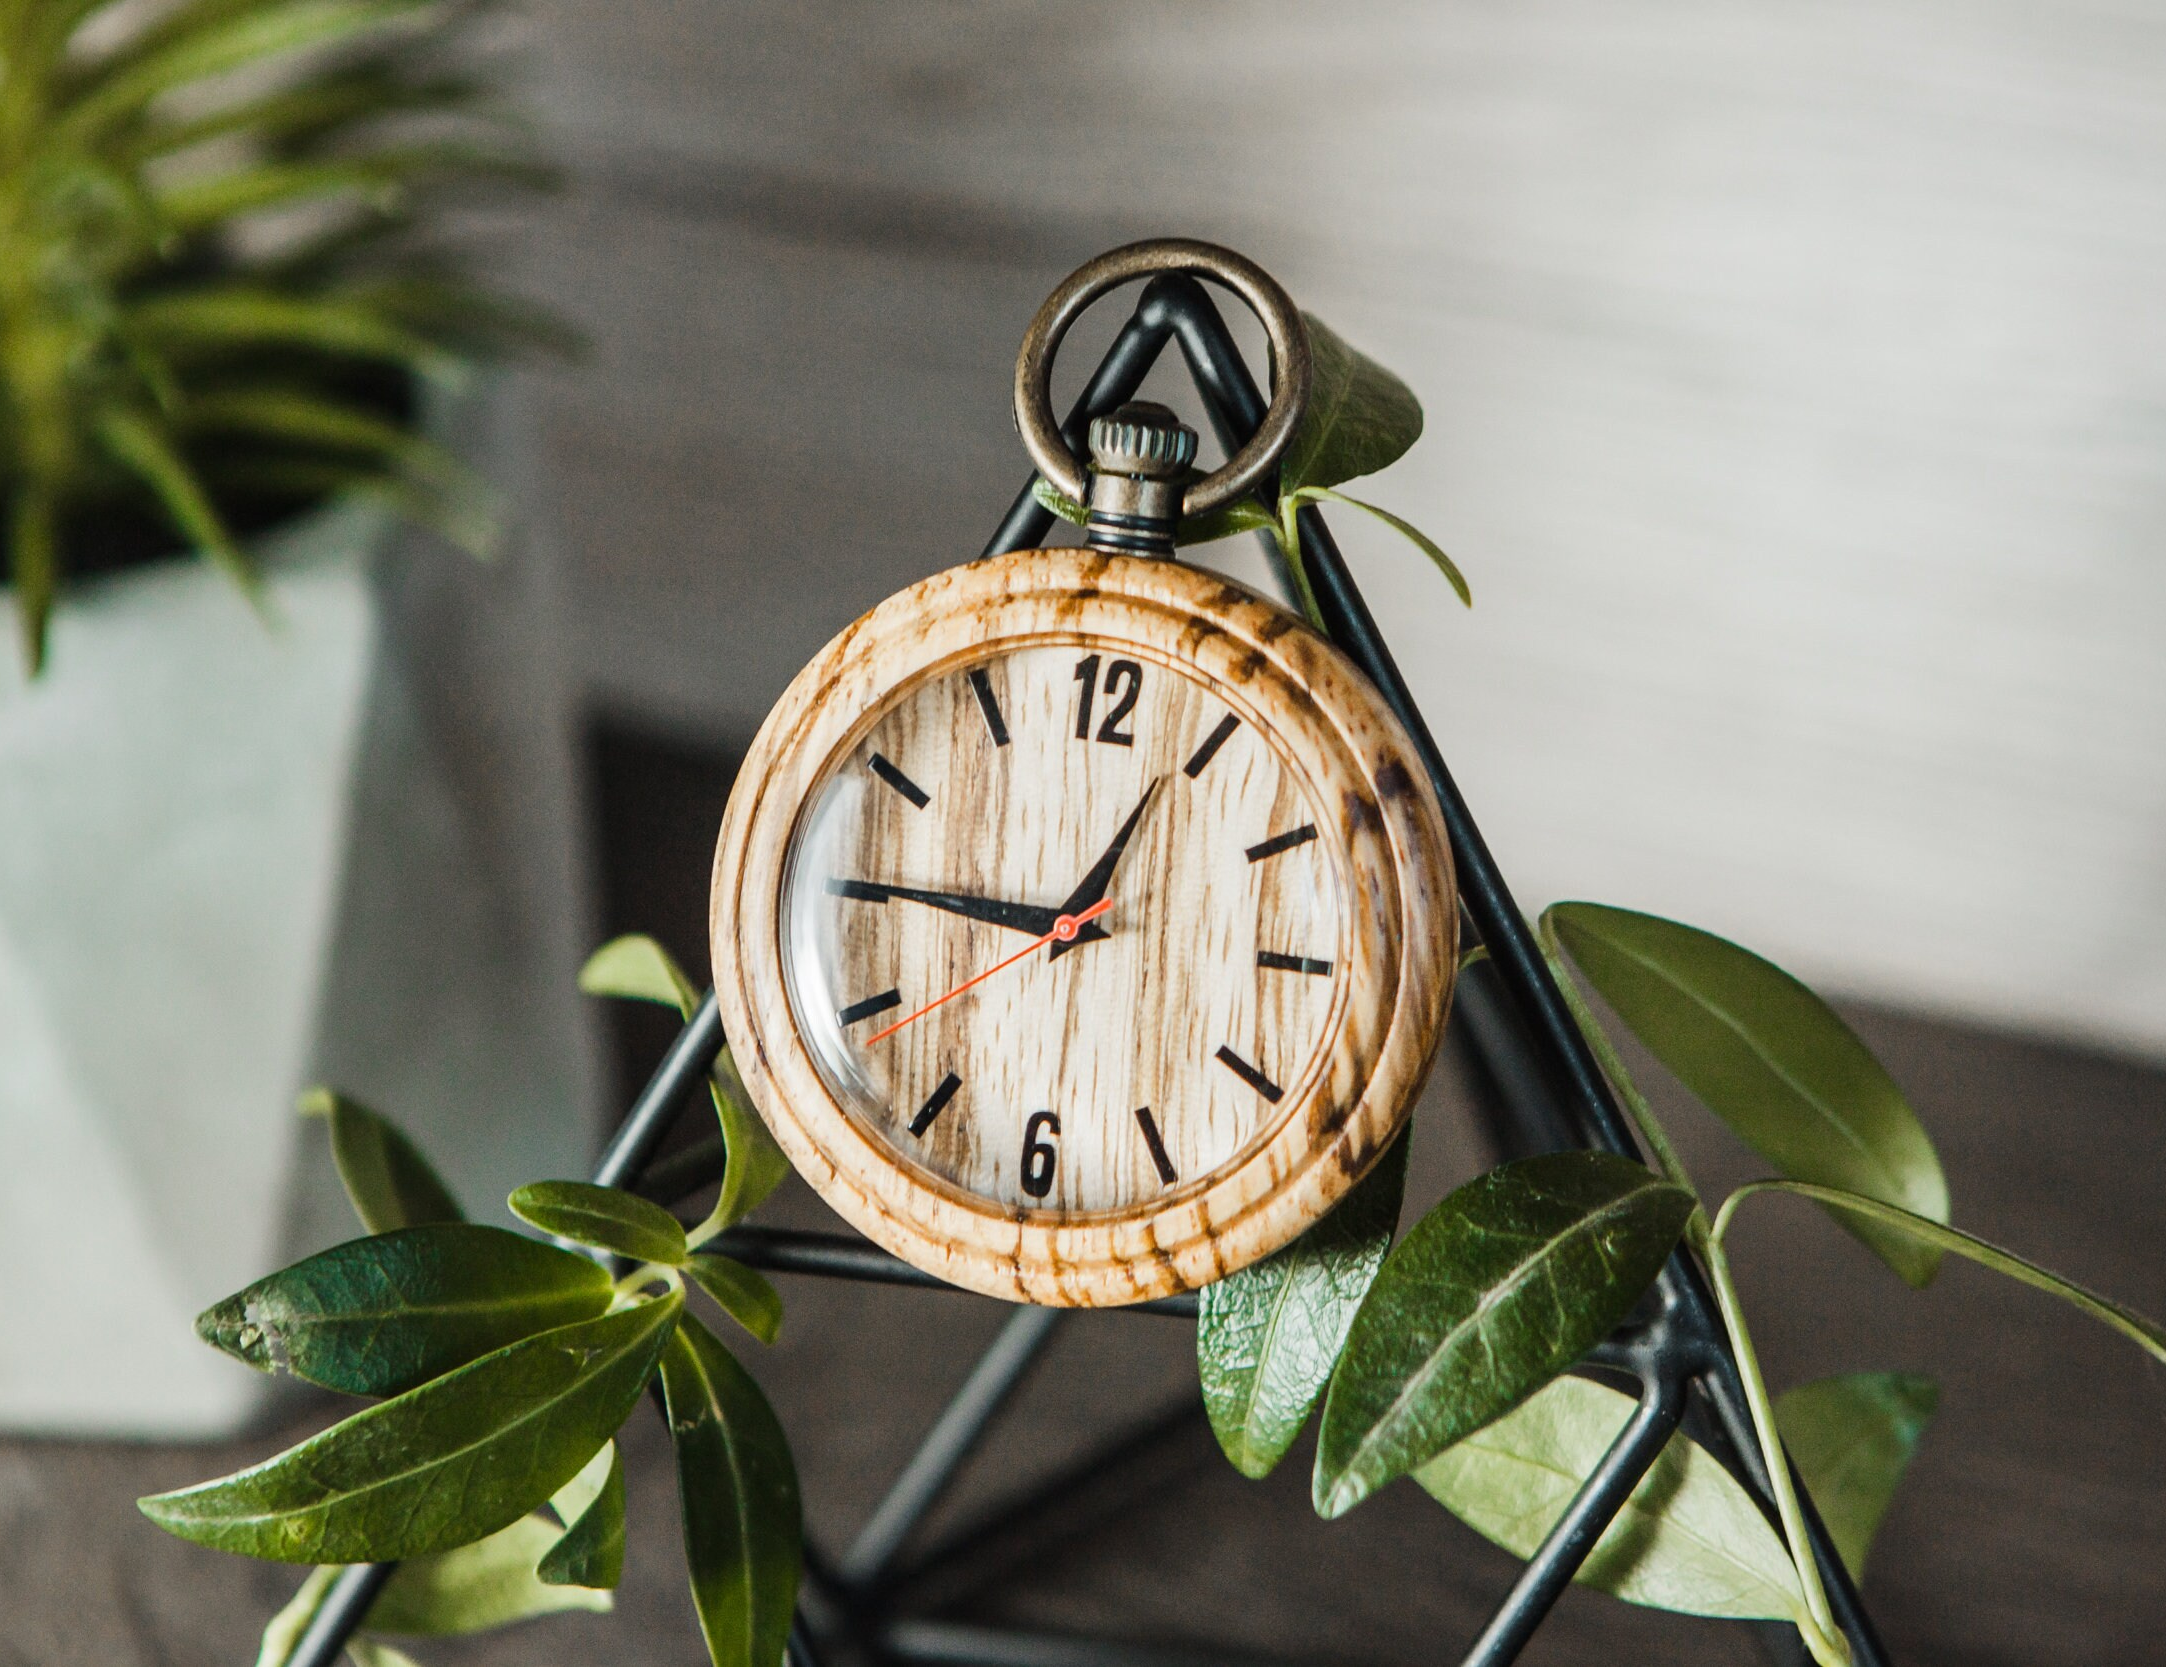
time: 12:45
